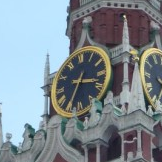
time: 3:34
